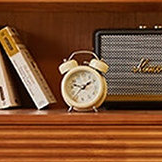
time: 1:47
